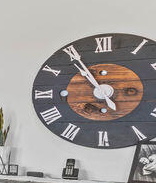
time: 10:55
